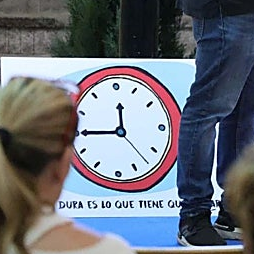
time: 11:45
